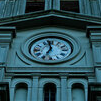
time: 6:58
